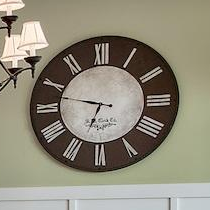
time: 6:47
